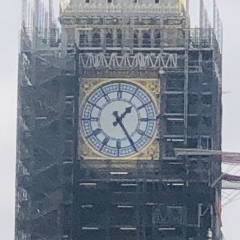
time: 1:24
